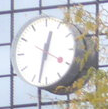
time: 12:32
